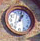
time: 1:02
